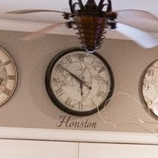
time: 5:50
